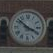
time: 3:51
